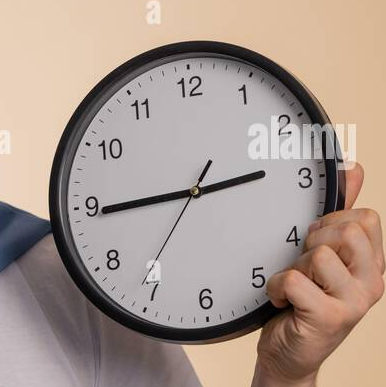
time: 2:44
